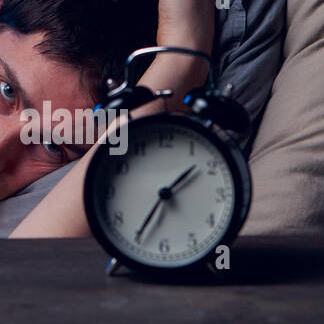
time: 1:35
